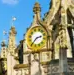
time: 2:36
